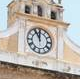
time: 11:55
